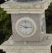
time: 9:15
